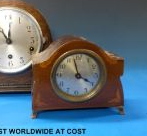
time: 3:57
